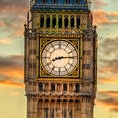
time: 8:14
